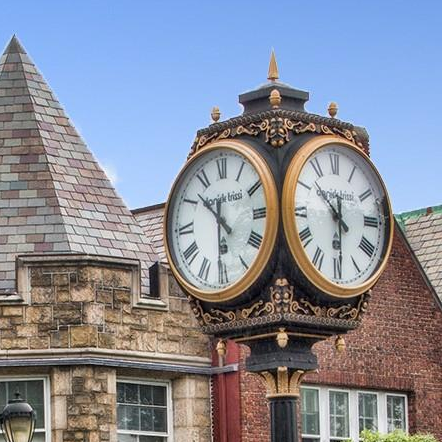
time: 10:30
